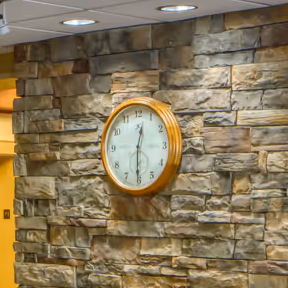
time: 12:30
